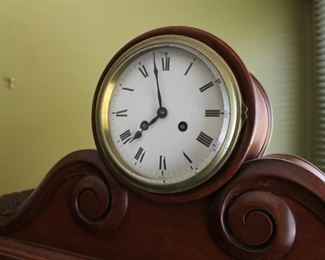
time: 7:58
